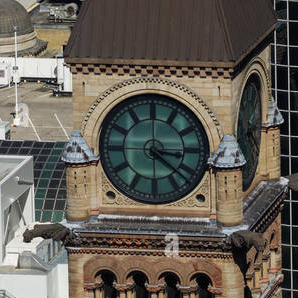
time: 3:21
